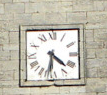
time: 4:31
